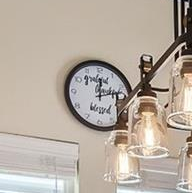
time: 12:13
